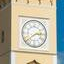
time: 2:38
